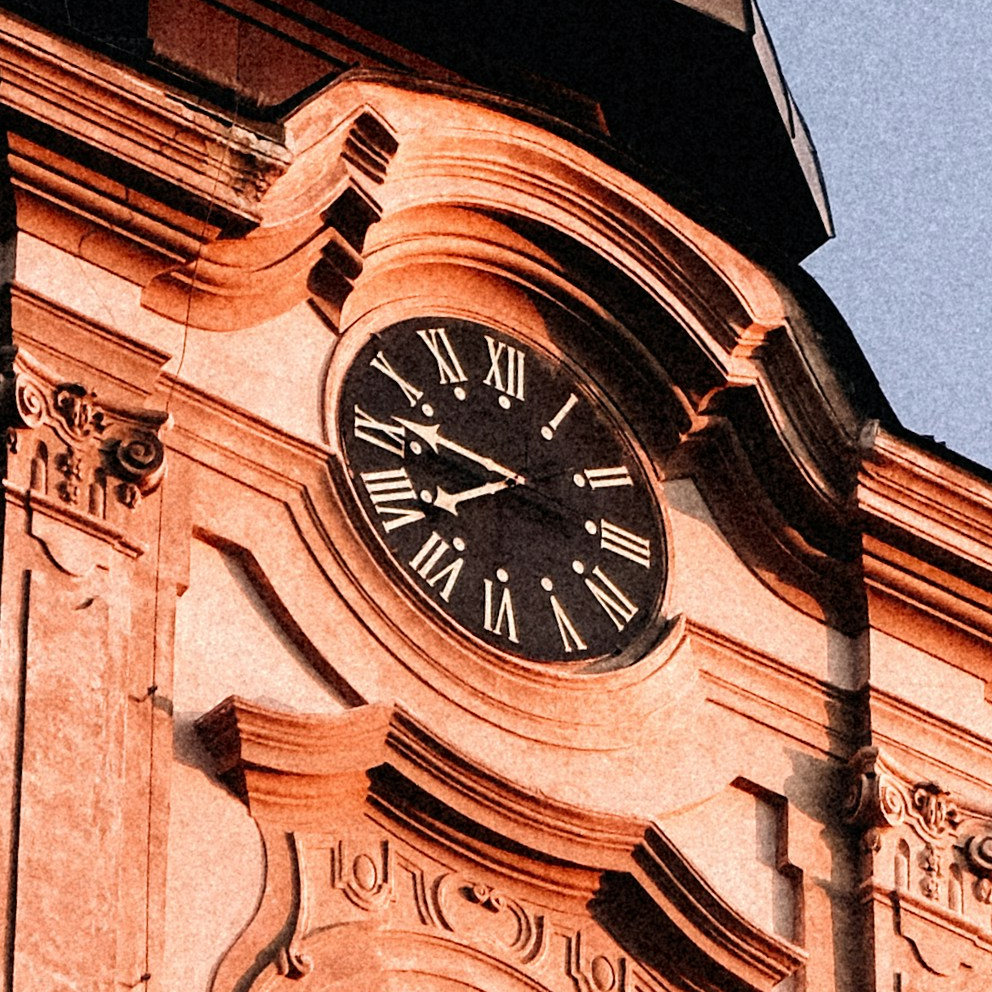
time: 7:46
